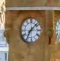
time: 7:08
